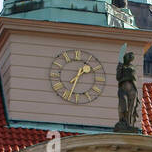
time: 1:33
